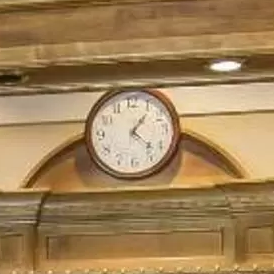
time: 1:22
